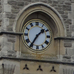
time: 1:35
